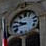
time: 9:42
